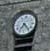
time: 7:23
